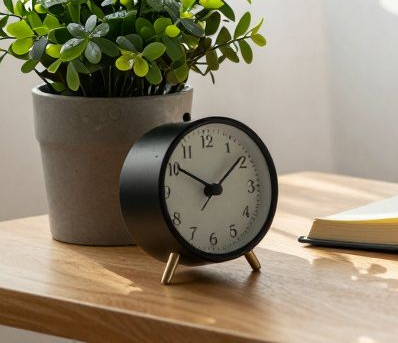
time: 1:50
